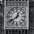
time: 12:38
